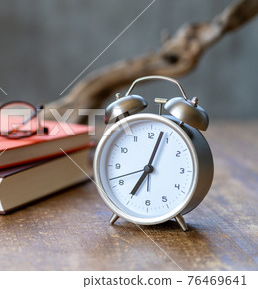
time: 7:03
